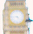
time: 4:44
